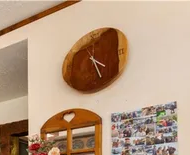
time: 4:26
